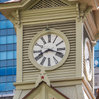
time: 8:18
